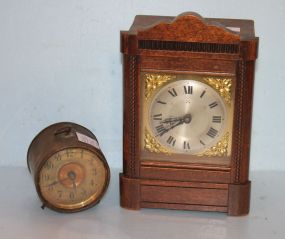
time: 8:40
